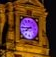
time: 7:44
